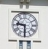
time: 9:30
